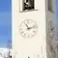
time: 11:12
